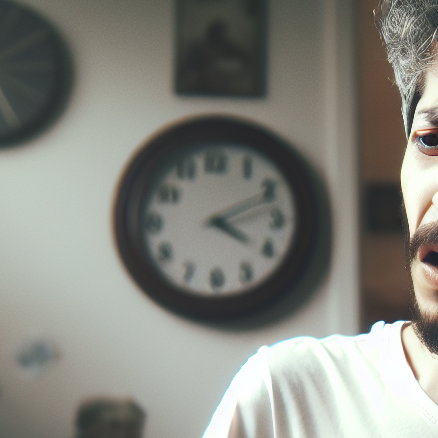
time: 4:10
